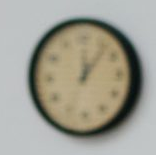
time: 12:06
